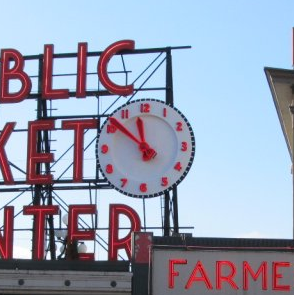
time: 11:51
